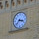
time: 3:37
